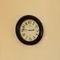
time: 2:46
